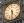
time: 5:31
